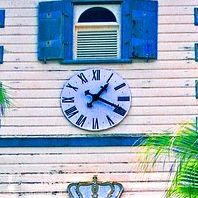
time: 1:19
